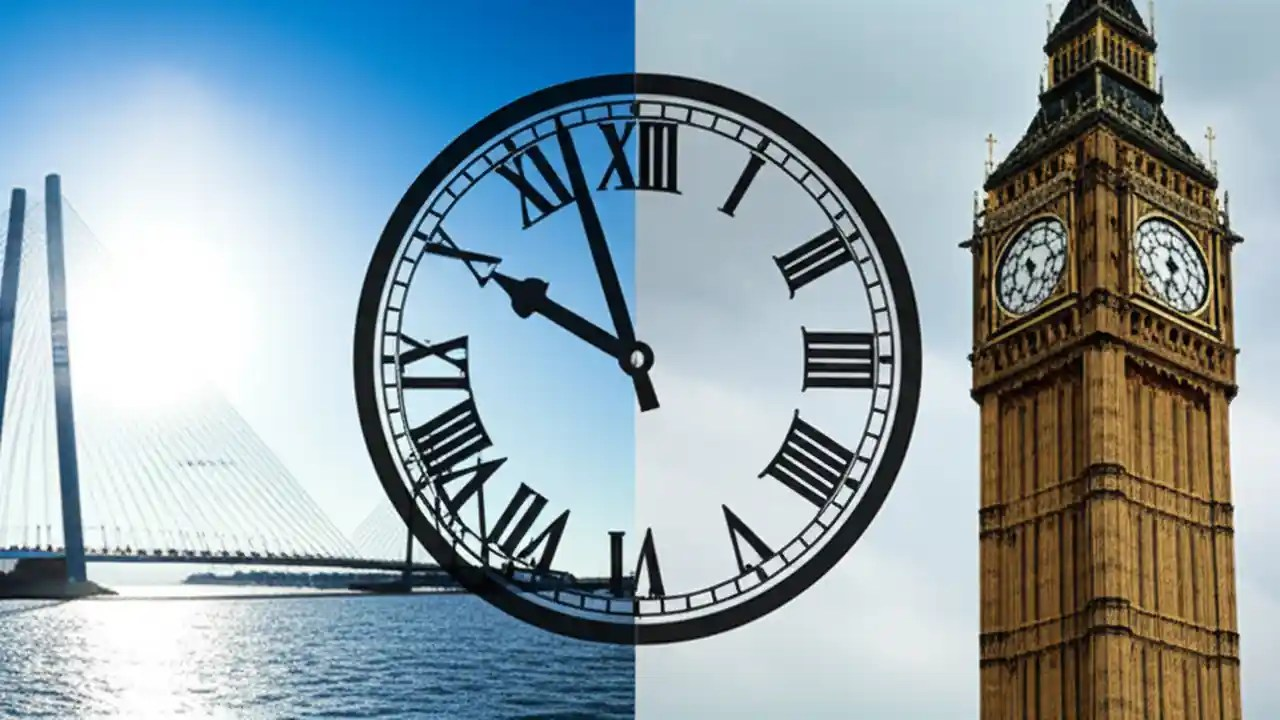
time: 9:56
